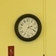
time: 2:19
